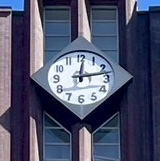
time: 12:12
